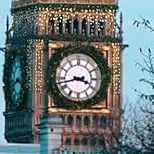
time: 3:42
